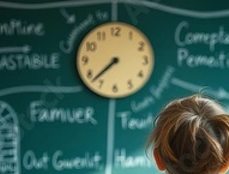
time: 7:37
